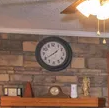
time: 1:40
